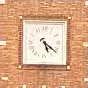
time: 5:21
